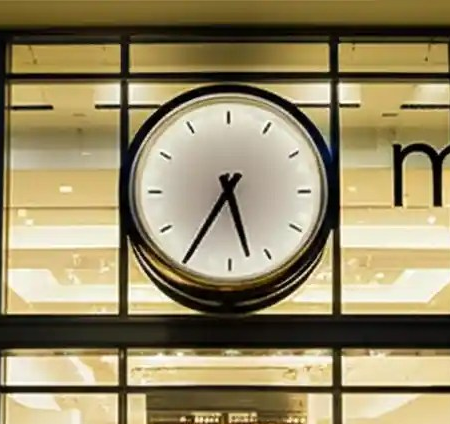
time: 5:35
